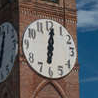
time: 6:01
